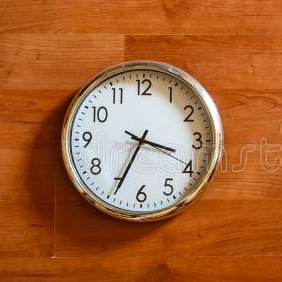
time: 3:34
